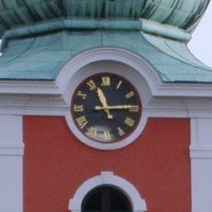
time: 11:14
